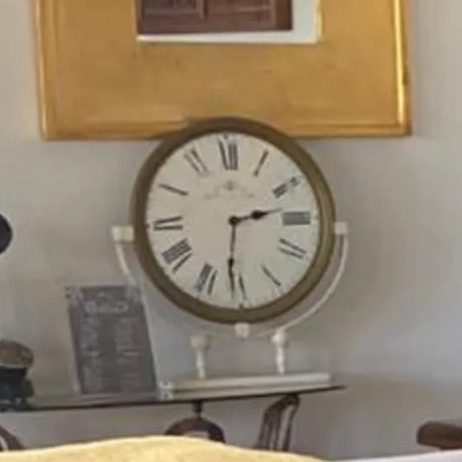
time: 2:31
